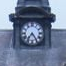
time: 7:24
